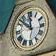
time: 11:51
